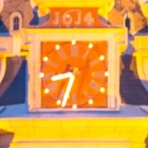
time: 8:33
